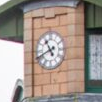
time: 10:41
